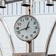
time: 12:42
